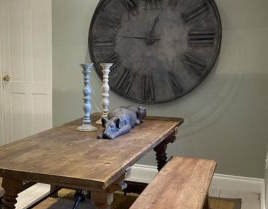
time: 12:46
